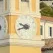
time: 9:42
